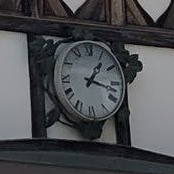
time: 1:17
